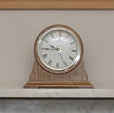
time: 9:45
